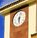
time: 6:03
